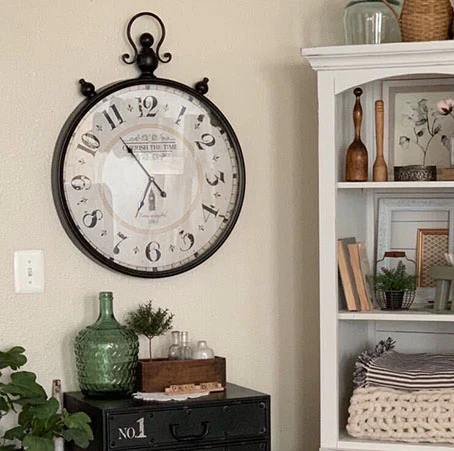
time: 6:53
